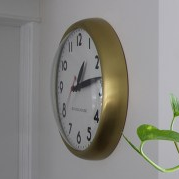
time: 1:13
